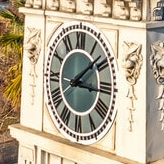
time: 3:08
